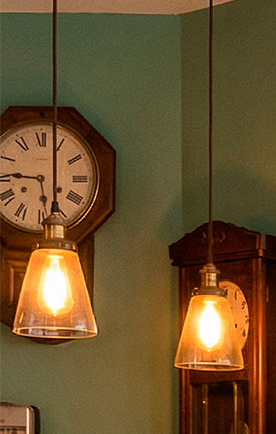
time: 5:45
